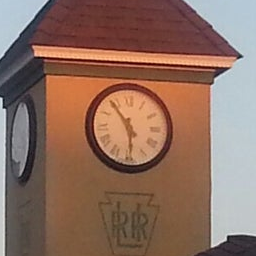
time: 5:54
